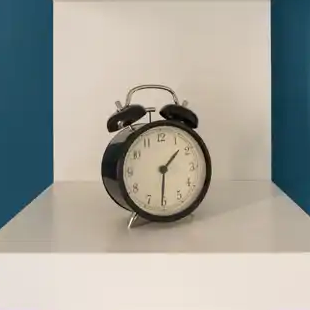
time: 1:30
